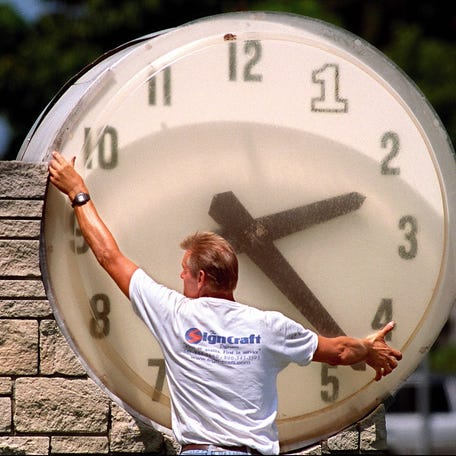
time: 2:23
